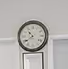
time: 10:39
